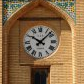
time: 10:07
